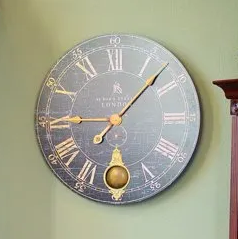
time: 9:07
